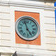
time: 4:57
